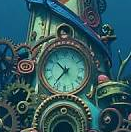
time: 10:36
